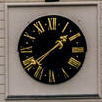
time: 1:38
